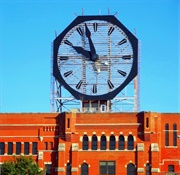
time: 9:57
